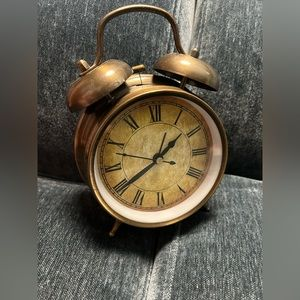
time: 1:39
